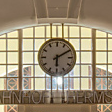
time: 6:09
